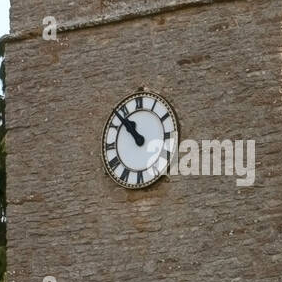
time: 10:53
